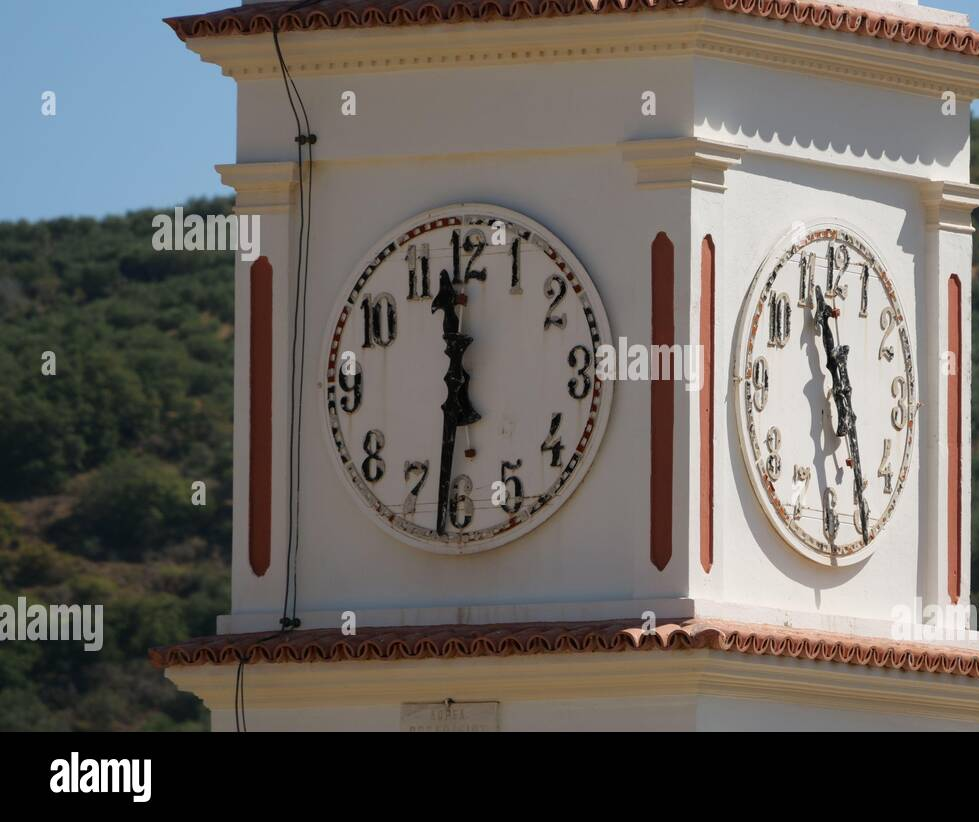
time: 11:31
